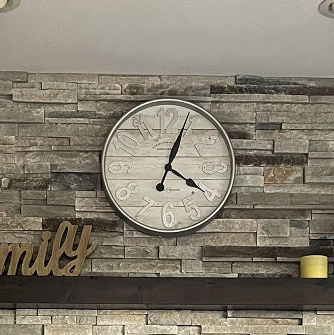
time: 4:03
